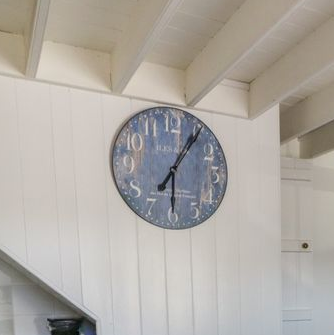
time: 6:05
